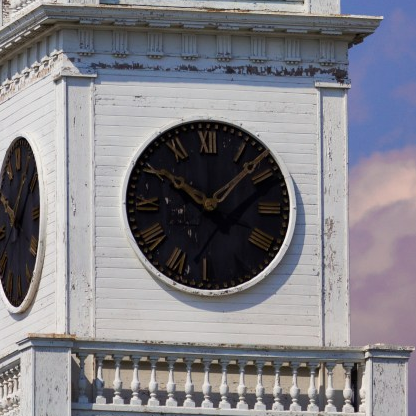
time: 10:07
